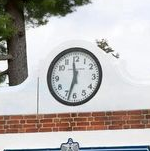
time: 11:32
